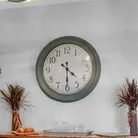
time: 4:30
